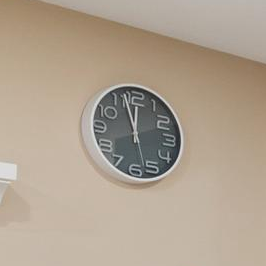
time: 11:57
